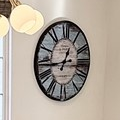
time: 12:43
